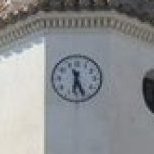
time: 6:26
